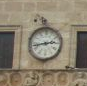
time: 2:43
